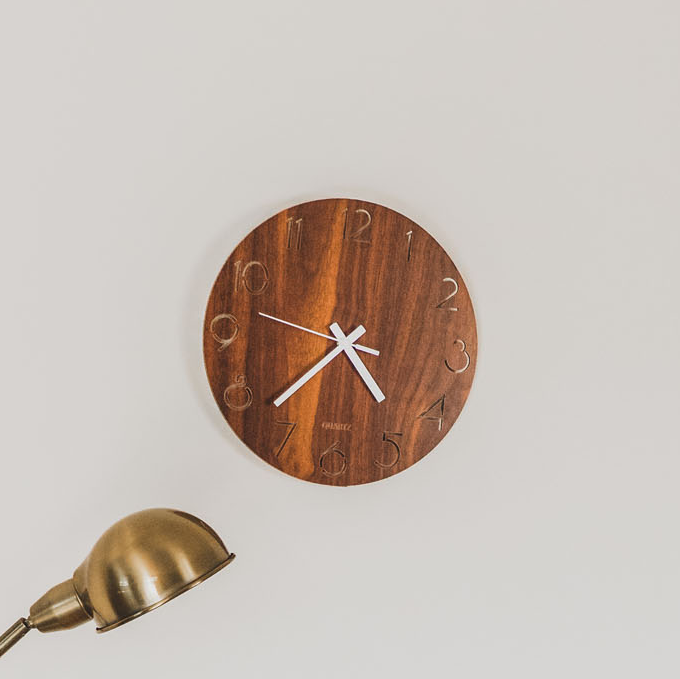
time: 4:38
